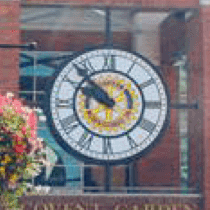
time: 9:52
